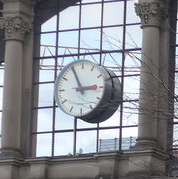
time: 2:56
